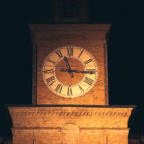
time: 11:15
